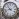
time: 10:42
